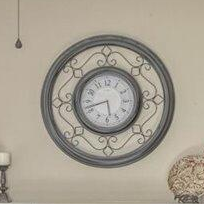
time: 5:42
